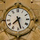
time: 7:27
